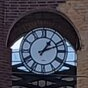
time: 1:11
